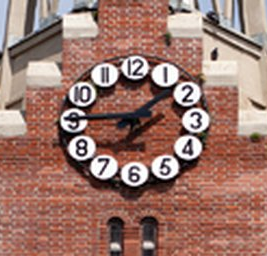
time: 1:45
